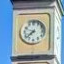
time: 7:38
